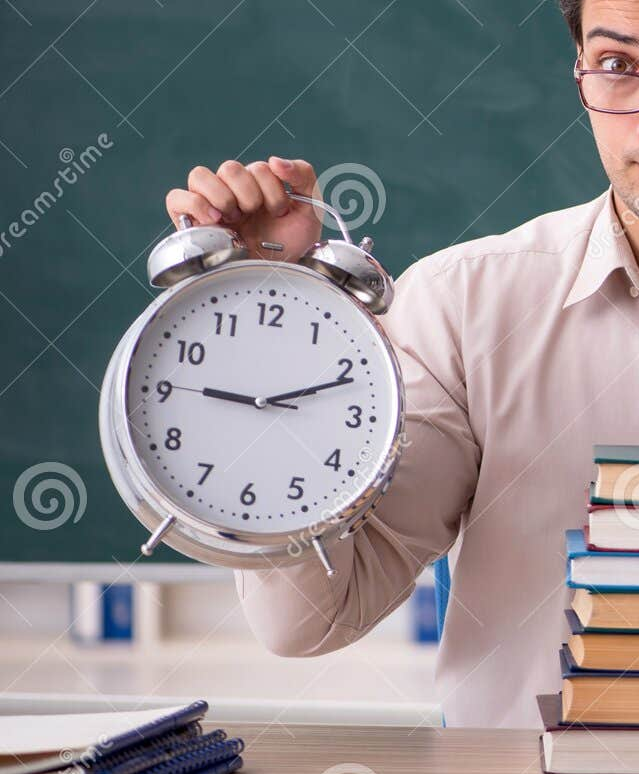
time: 9:11
